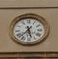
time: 5:37
